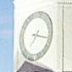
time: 7:16
